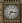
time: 7:16
